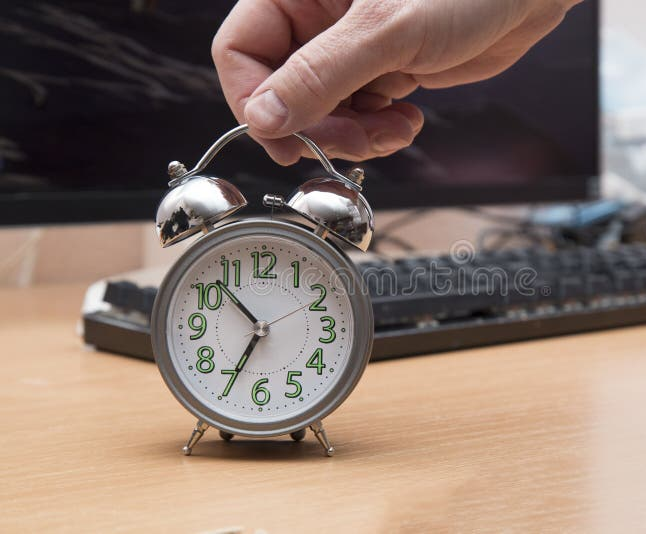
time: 10:34
